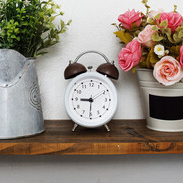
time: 9:10
